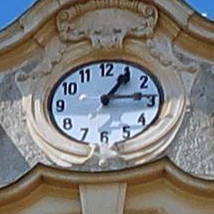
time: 1:14
